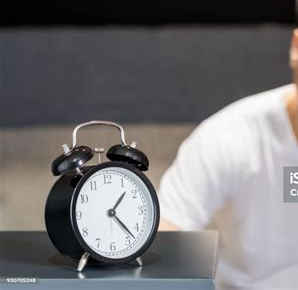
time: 1:22
